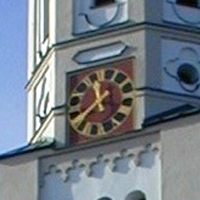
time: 11:37
